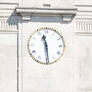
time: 11:28
